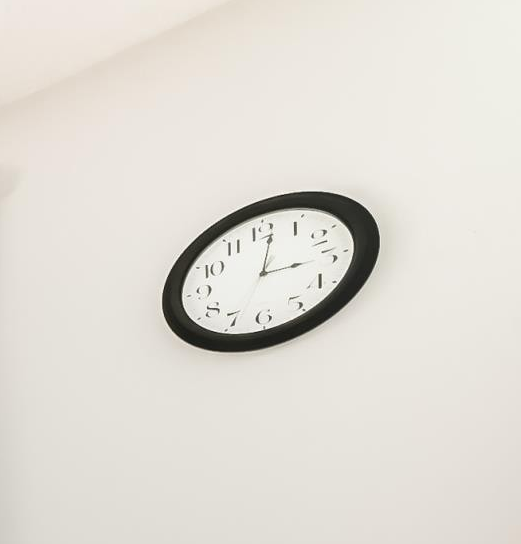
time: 3:01
